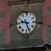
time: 9:26
